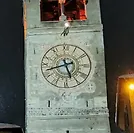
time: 5:42
